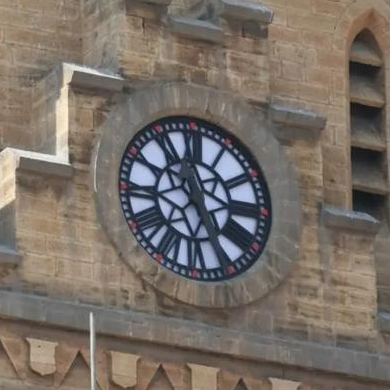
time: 11:25
